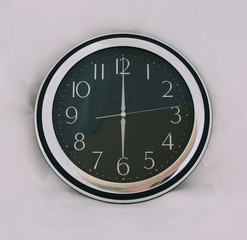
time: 6:00
